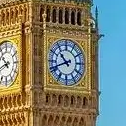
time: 10:41
